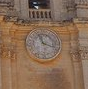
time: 11:17
